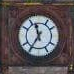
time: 11:35
